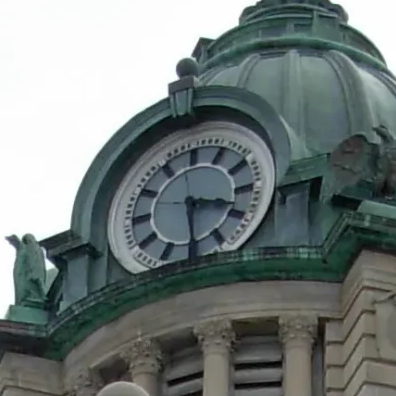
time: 3:29
